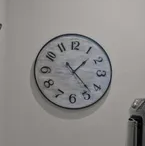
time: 1:23
